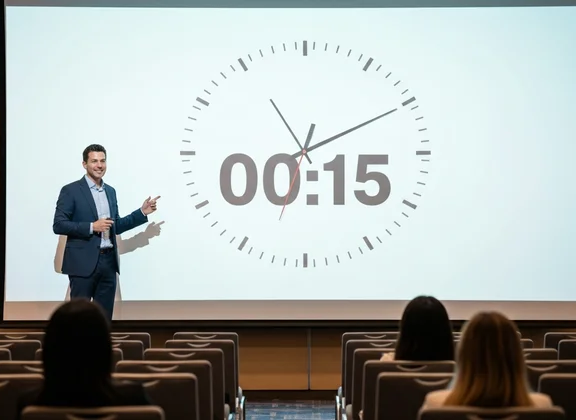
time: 11:10
